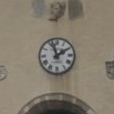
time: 1:56
